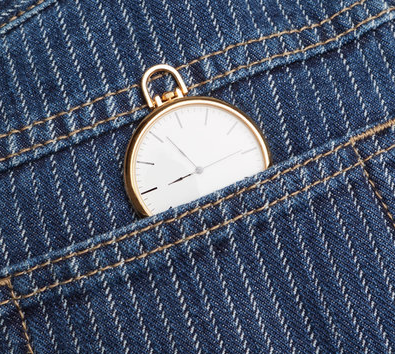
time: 7:51
